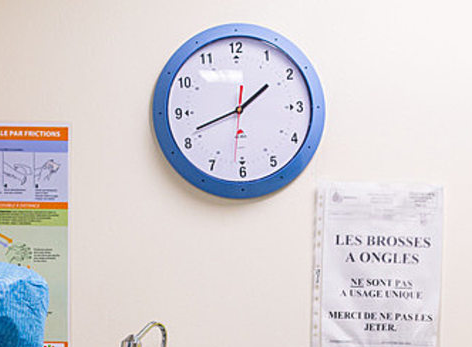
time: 1:41
